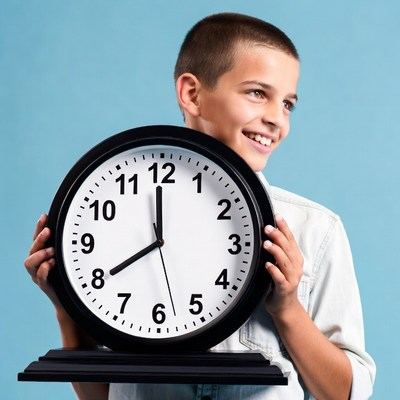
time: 7:59
